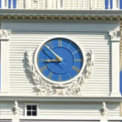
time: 8:52
